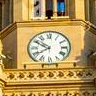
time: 7:50
